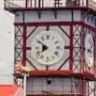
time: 7:50
